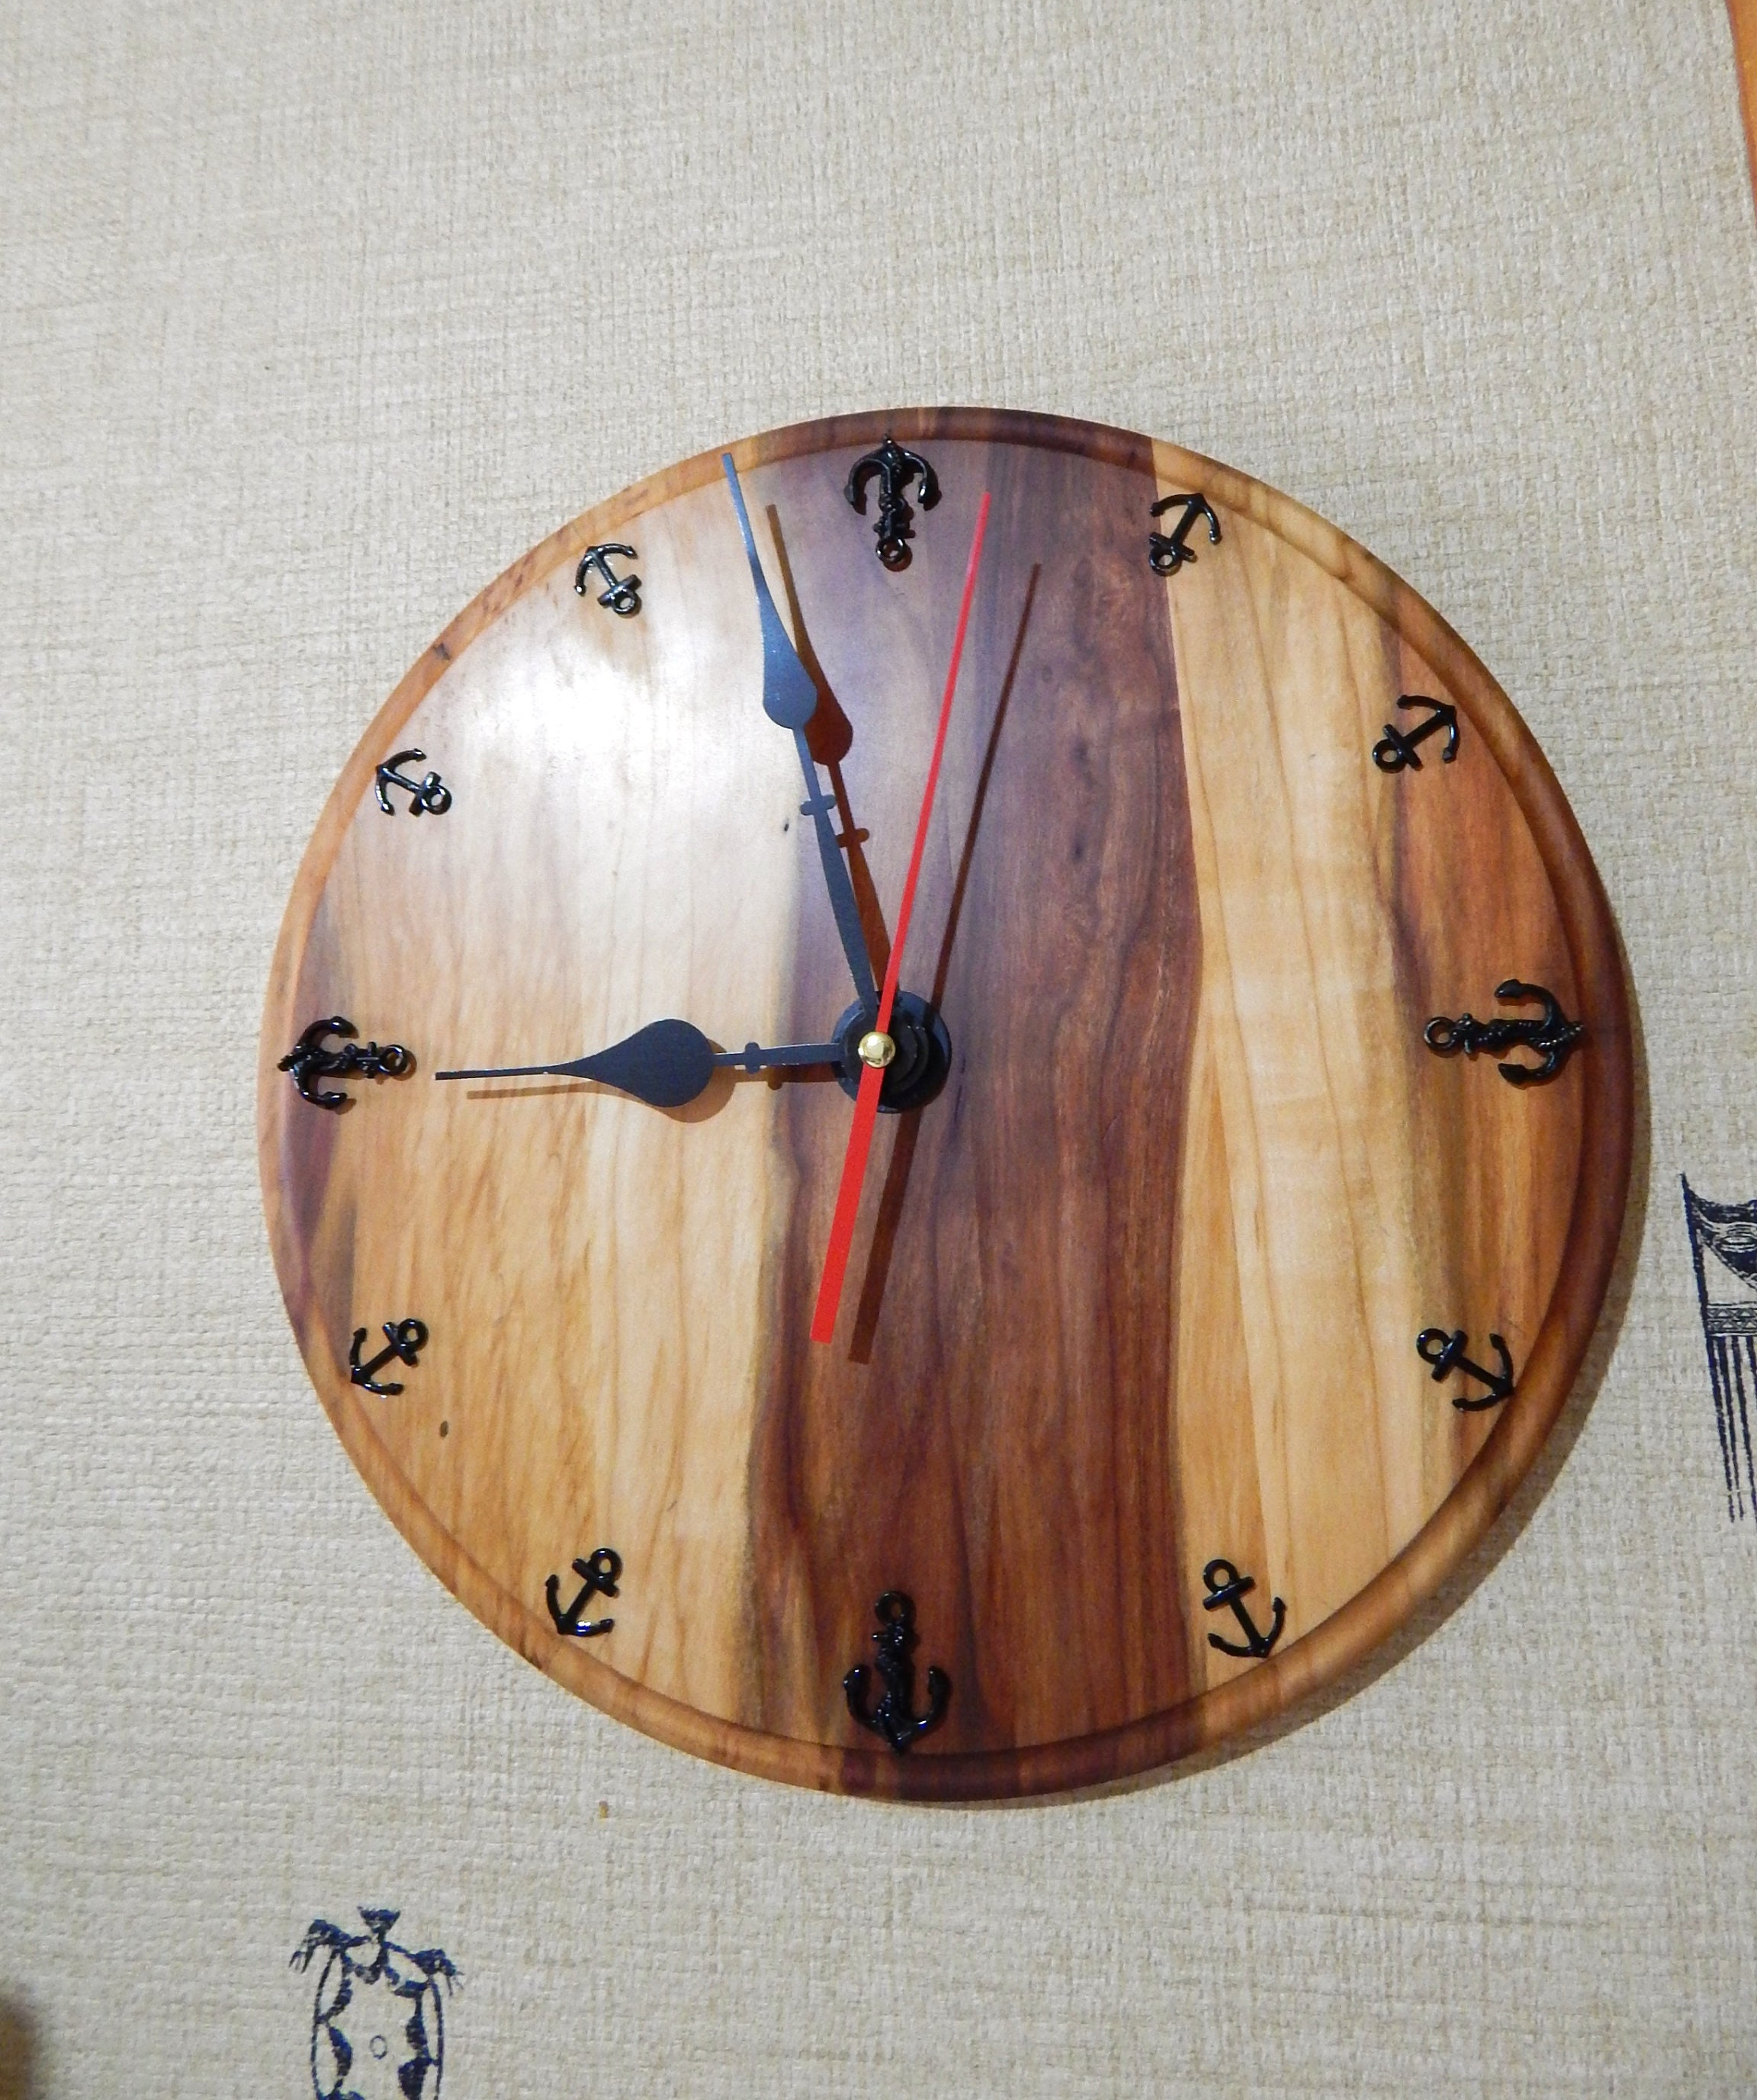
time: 8:57
